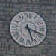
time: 5:18
